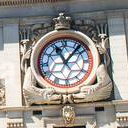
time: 11:07
